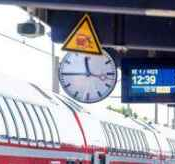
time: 11:44
